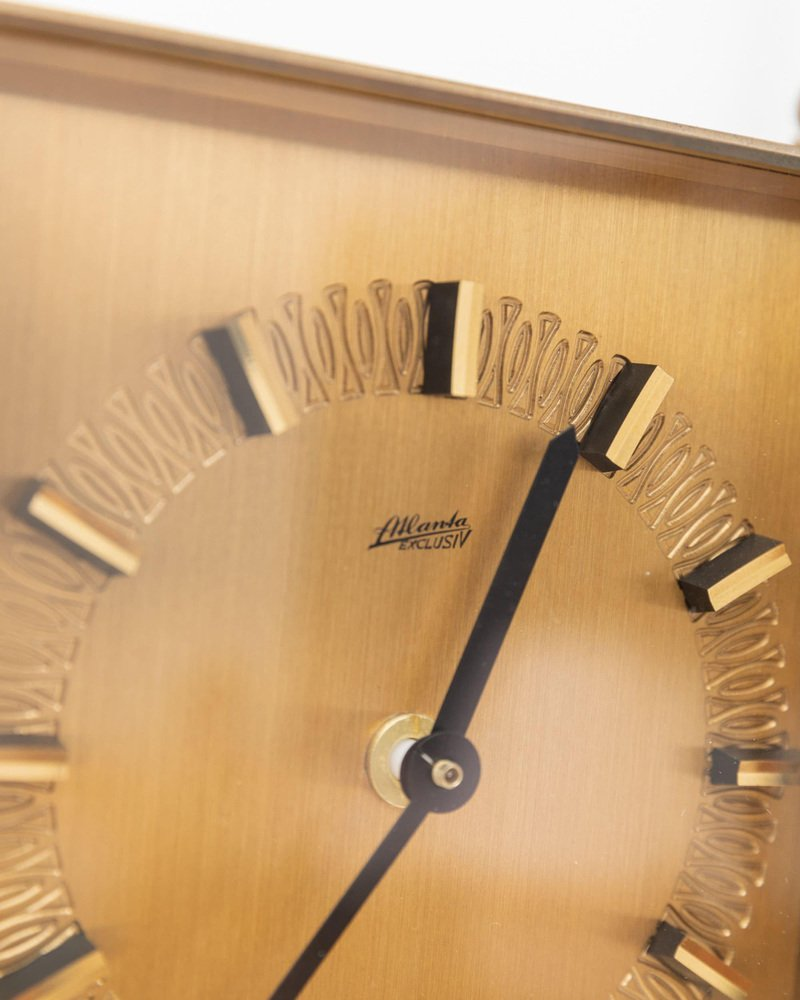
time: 7:04
